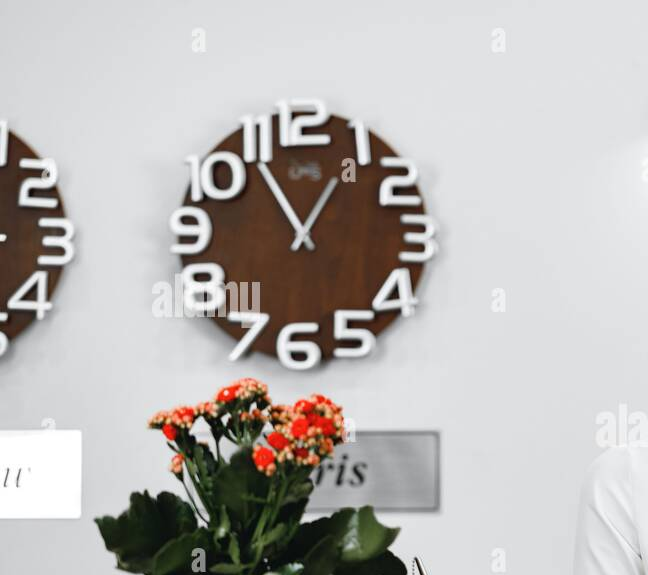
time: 12:54
